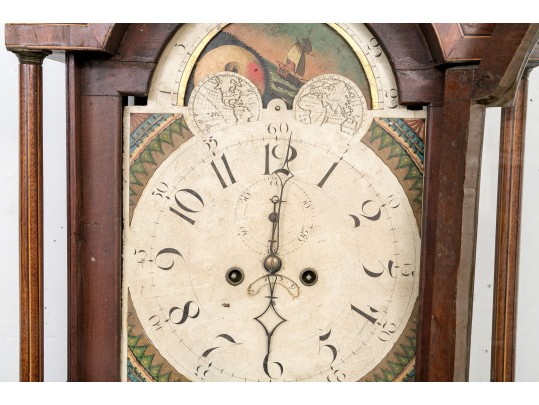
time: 6:00
